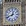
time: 12:41
